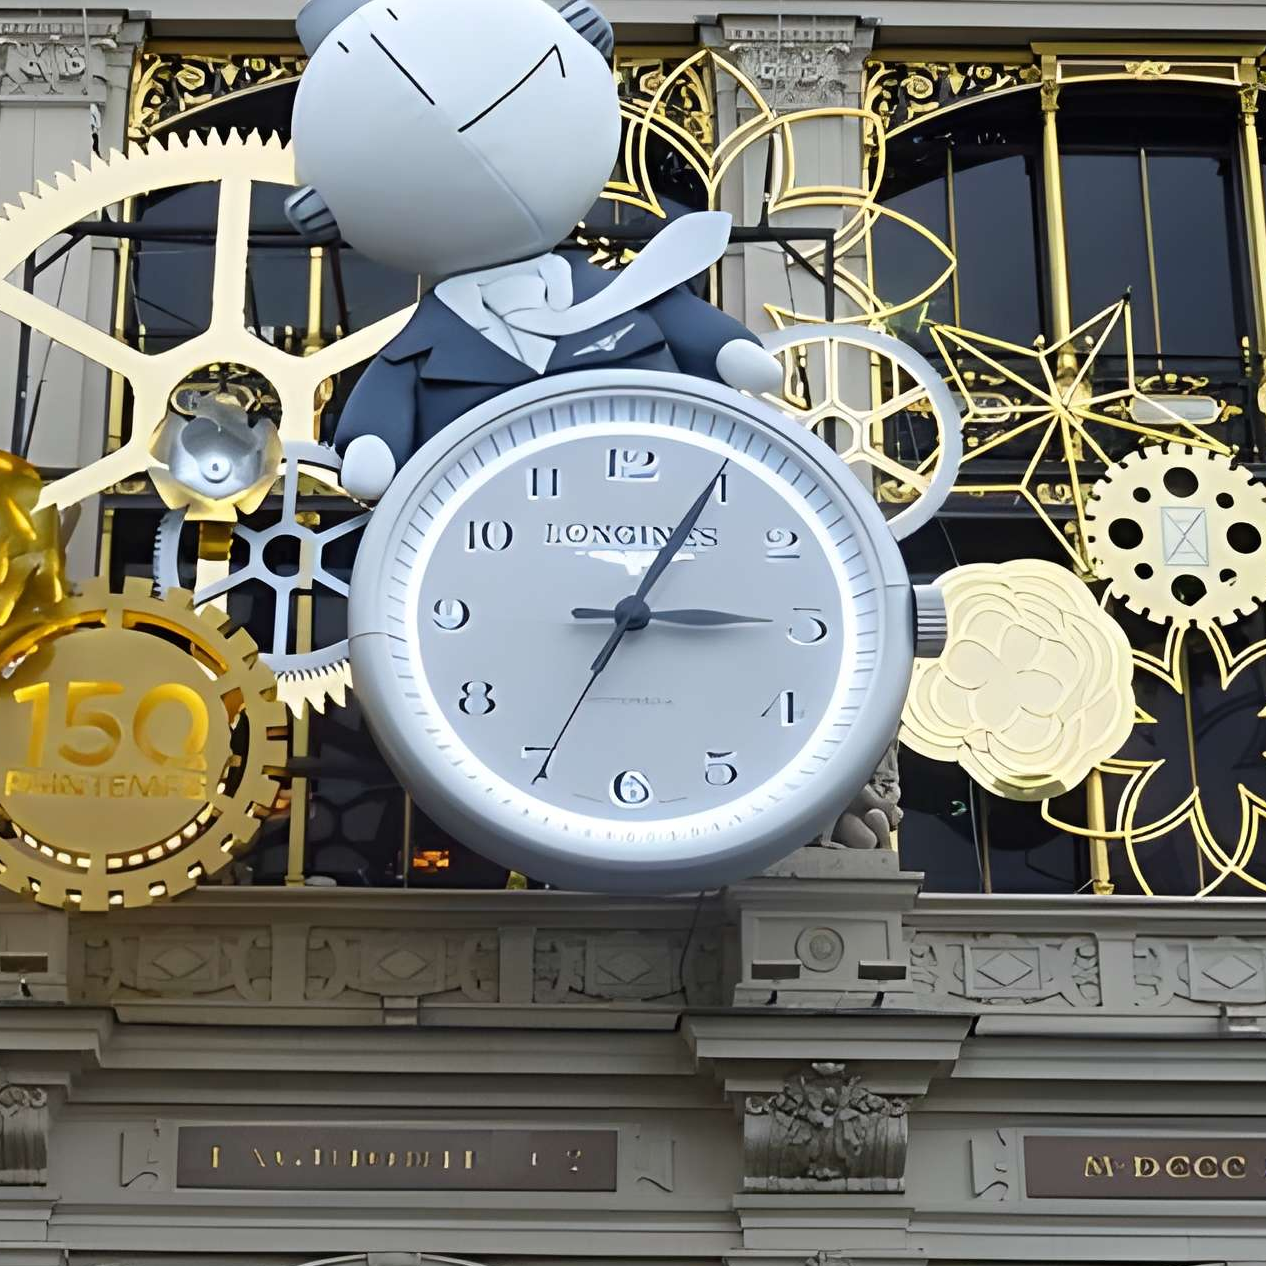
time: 3:05
